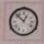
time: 12:52
